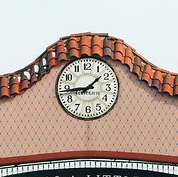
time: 1:44
